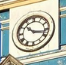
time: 10:17
